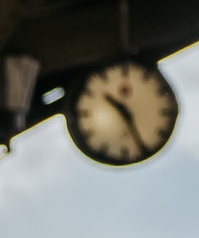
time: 10:25
